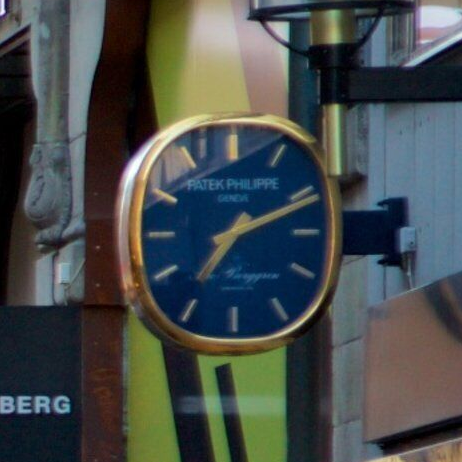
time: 7:11
